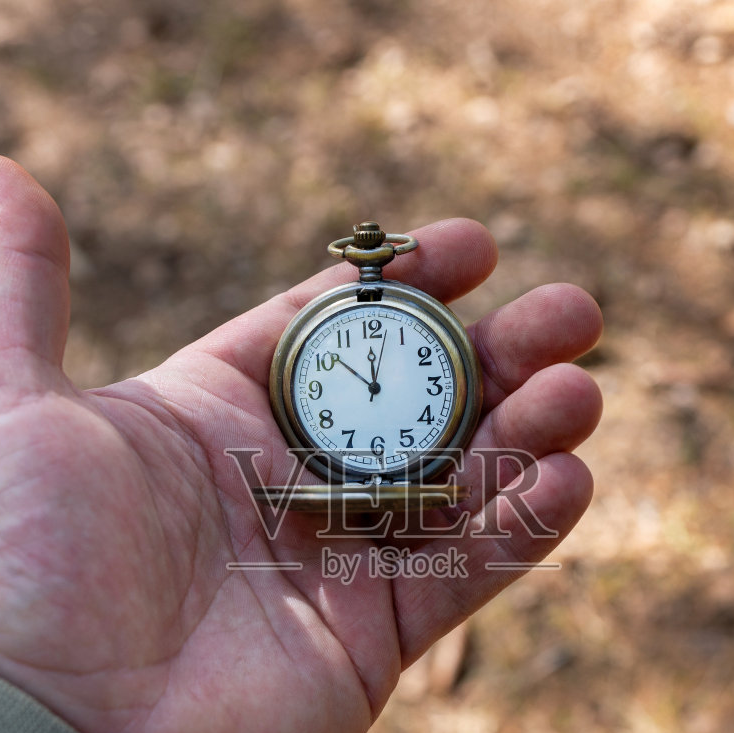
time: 11:51
